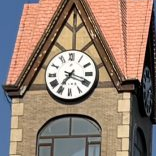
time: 7:18
